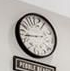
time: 8:42
